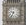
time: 9:34
